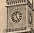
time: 11:24
